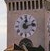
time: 12:12
